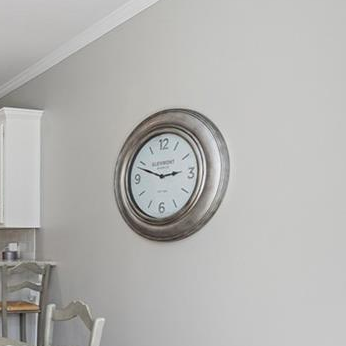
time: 2:48
